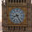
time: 8:25
